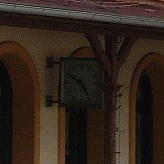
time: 4:50
